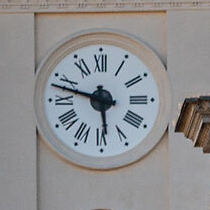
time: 5:47
